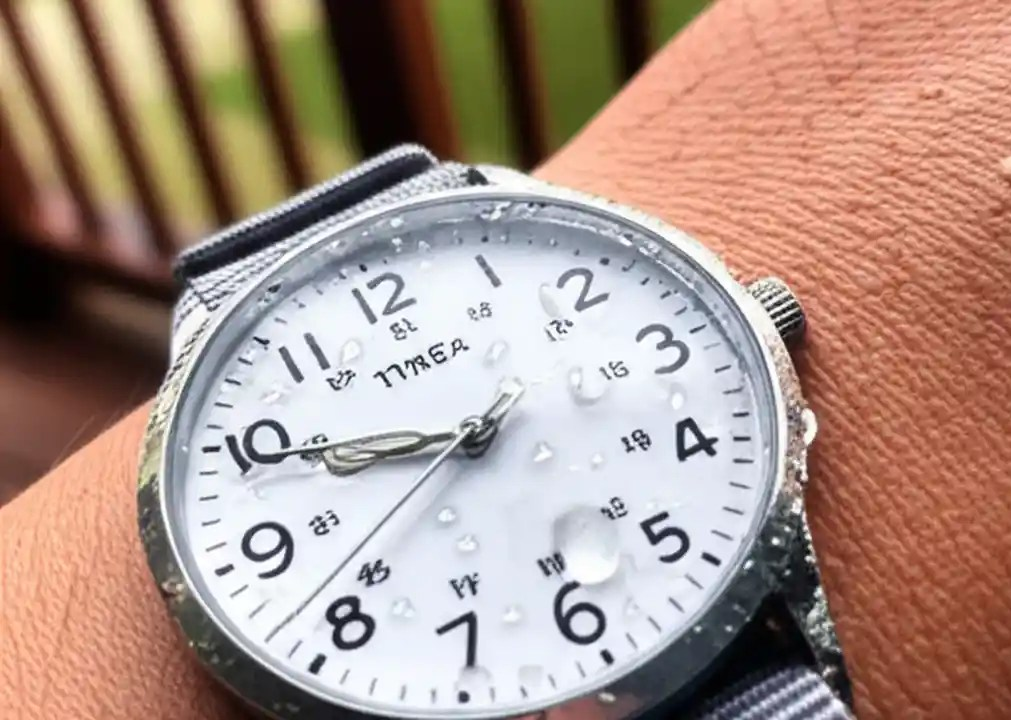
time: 9:49
